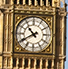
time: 10:40
